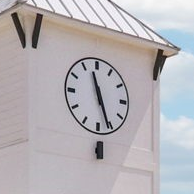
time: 11:26
